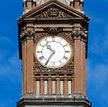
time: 10:35
